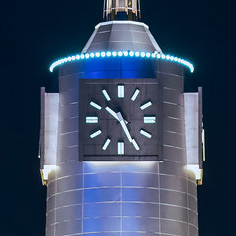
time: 10:25
